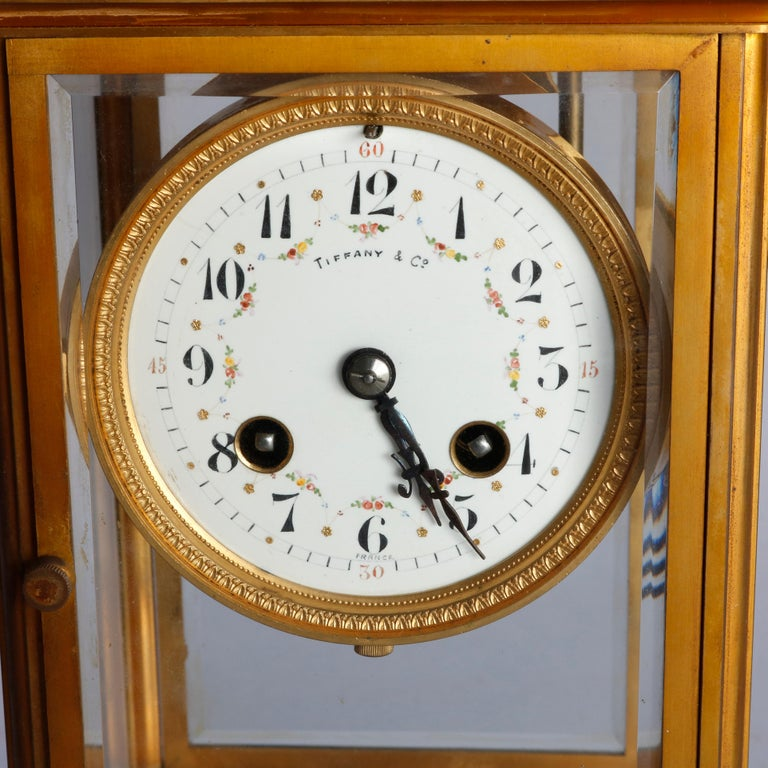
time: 4:24
